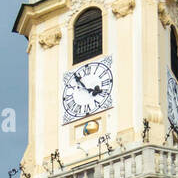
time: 3:54
